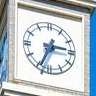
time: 2:34
